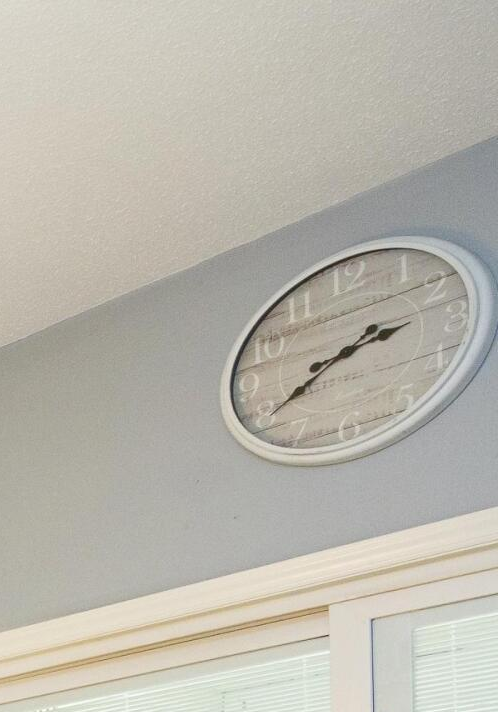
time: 2:39
